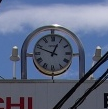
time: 12:48
